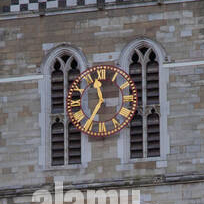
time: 11:35
